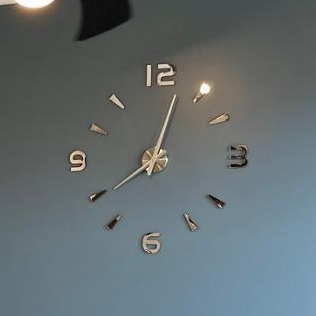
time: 12:39
